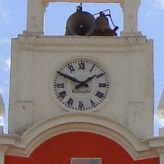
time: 1:50
